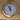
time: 11:55
